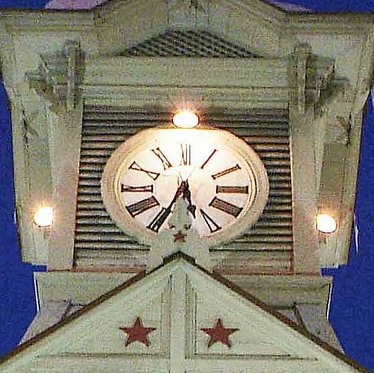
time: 5:34
